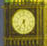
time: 5:36
